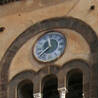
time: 11:37
